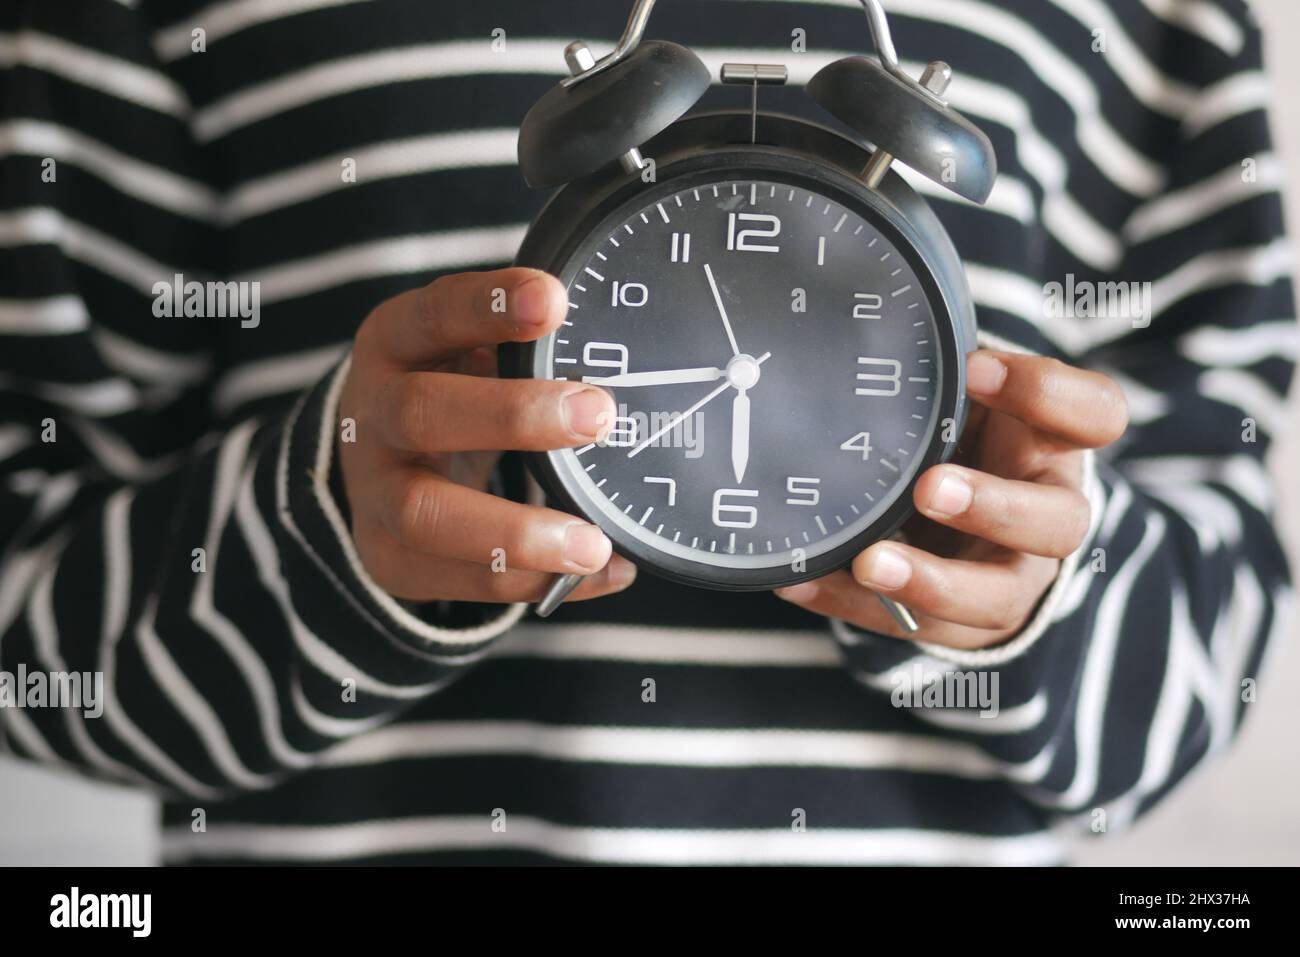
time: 5:43
